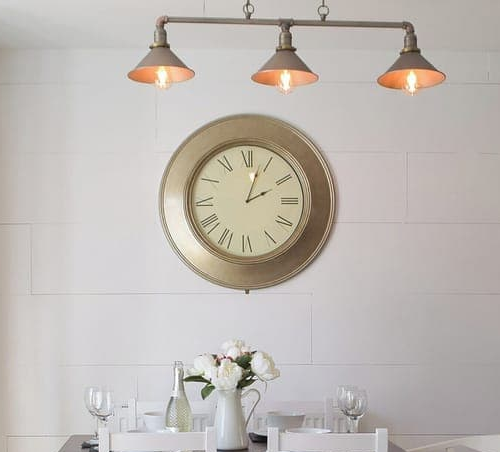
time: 2:02
